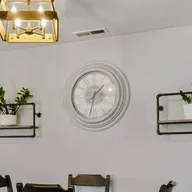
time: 1:32
